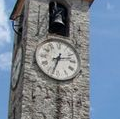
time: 2:33
